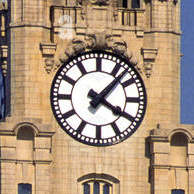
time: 4:07
